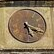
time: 5:18
